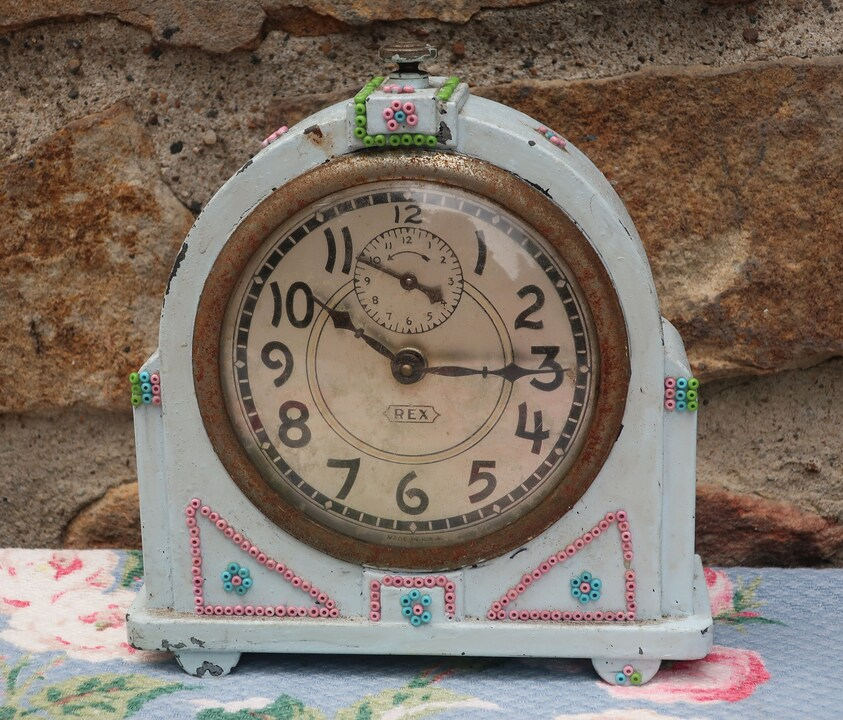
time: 10:15
